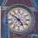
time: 4:50
